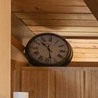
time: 10:28
